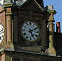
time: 5:11
